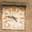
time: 4:47
